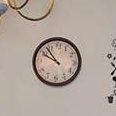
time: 9:53
